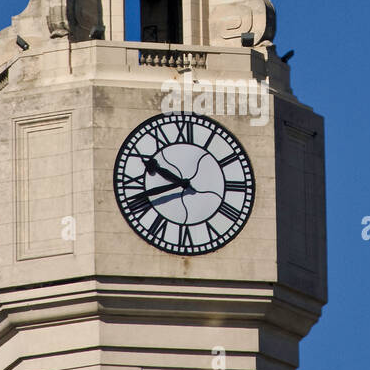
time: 9:41
